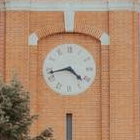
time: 4:42
